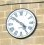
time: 4:51
